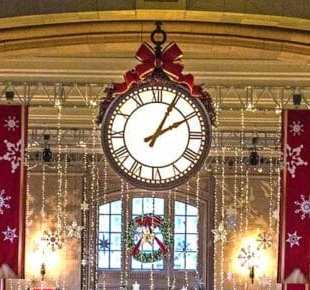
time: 2:04
